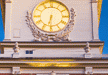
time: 6:30
